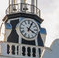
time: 4:04
